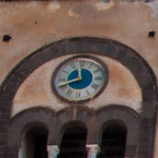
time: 11:41
